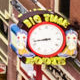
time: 8:43
